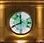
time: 11:40
